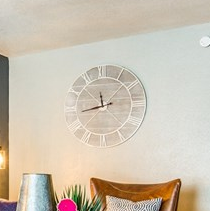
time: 11:43
